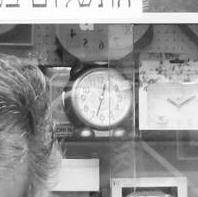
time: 12:32
